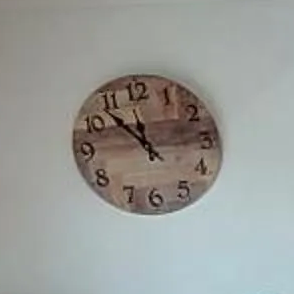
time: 11:53
